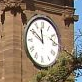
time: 11:50
